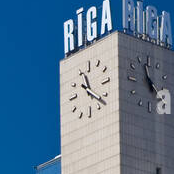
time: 11:21
